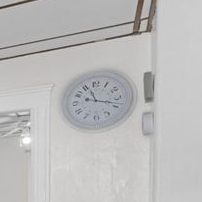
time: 11:18
